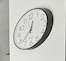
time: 12:37
